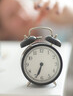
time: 6:33
